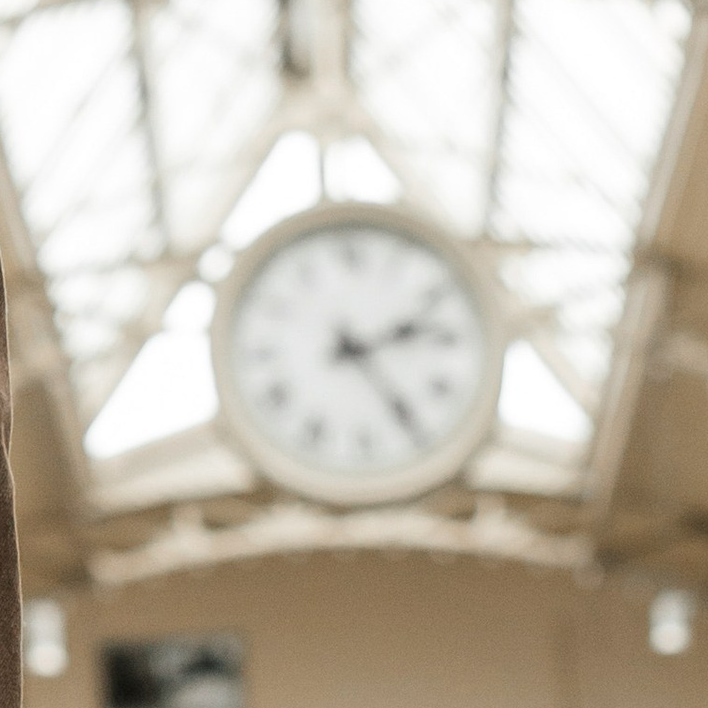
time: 2:24
